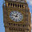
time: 12:47
